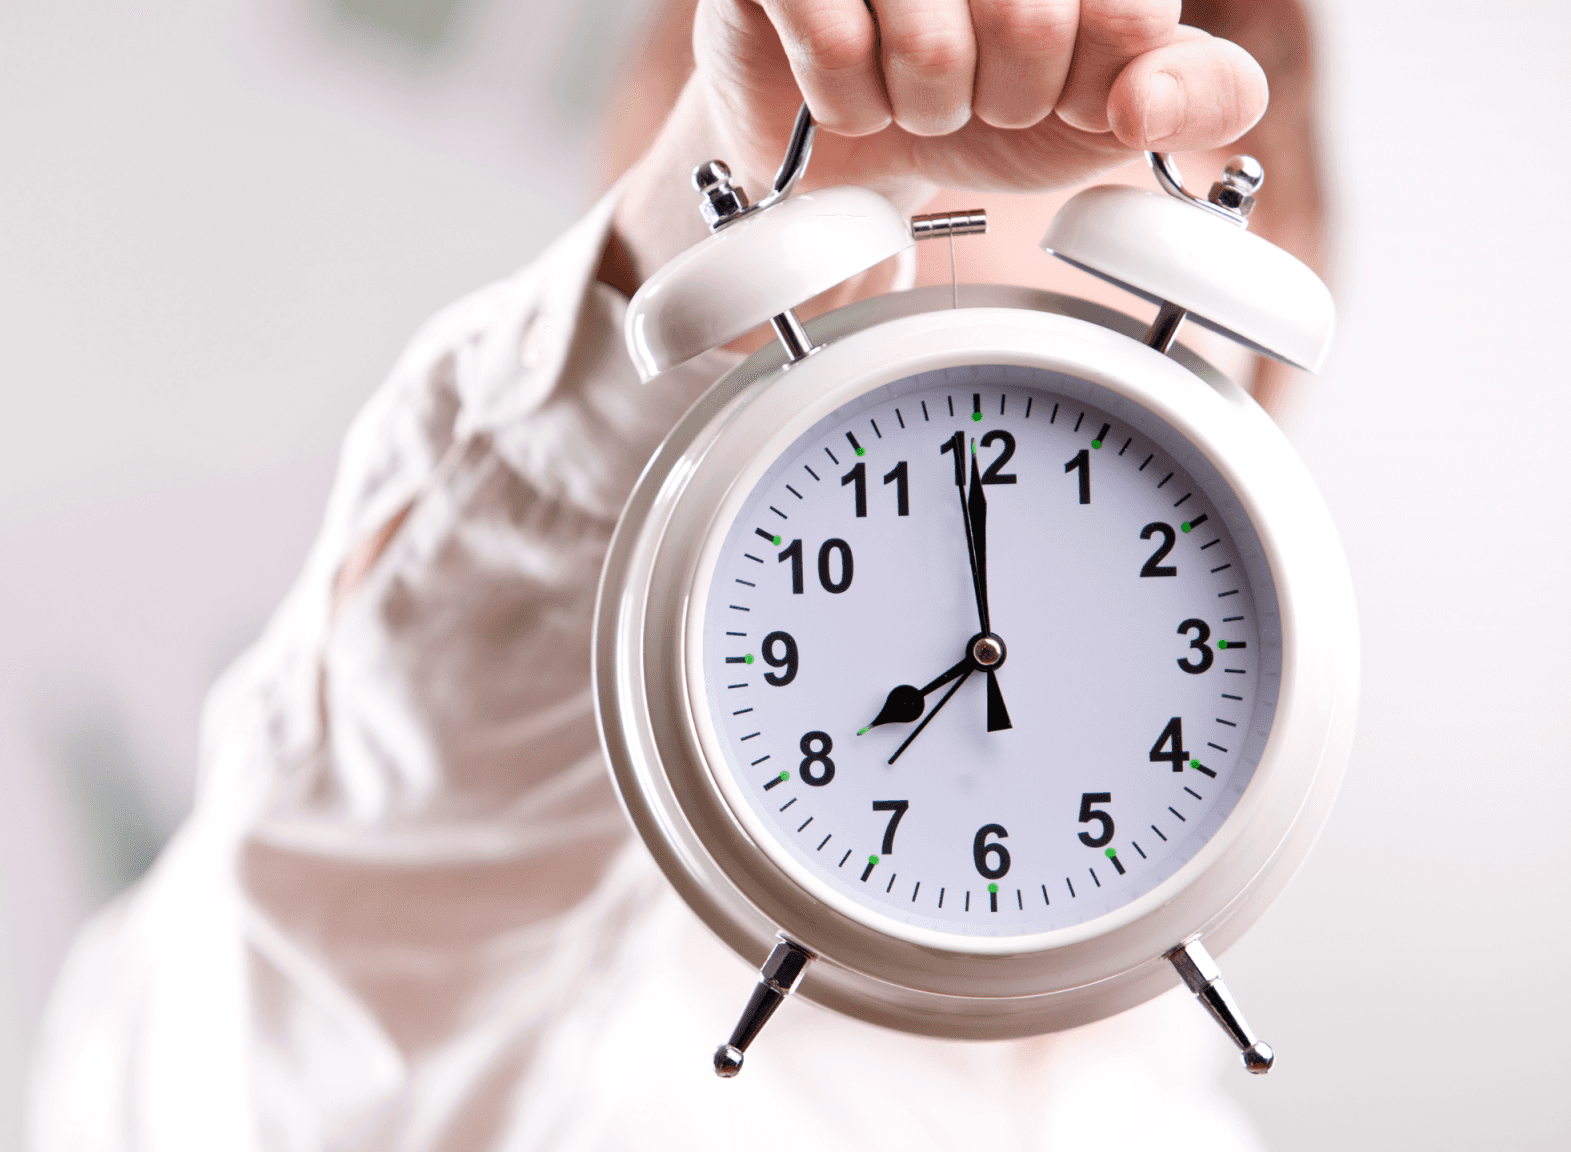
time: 7:59
